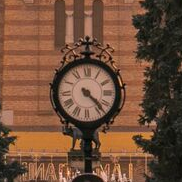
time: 4:22
